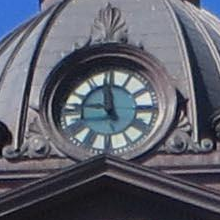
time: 11:46
